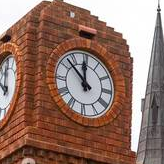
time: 11:52
